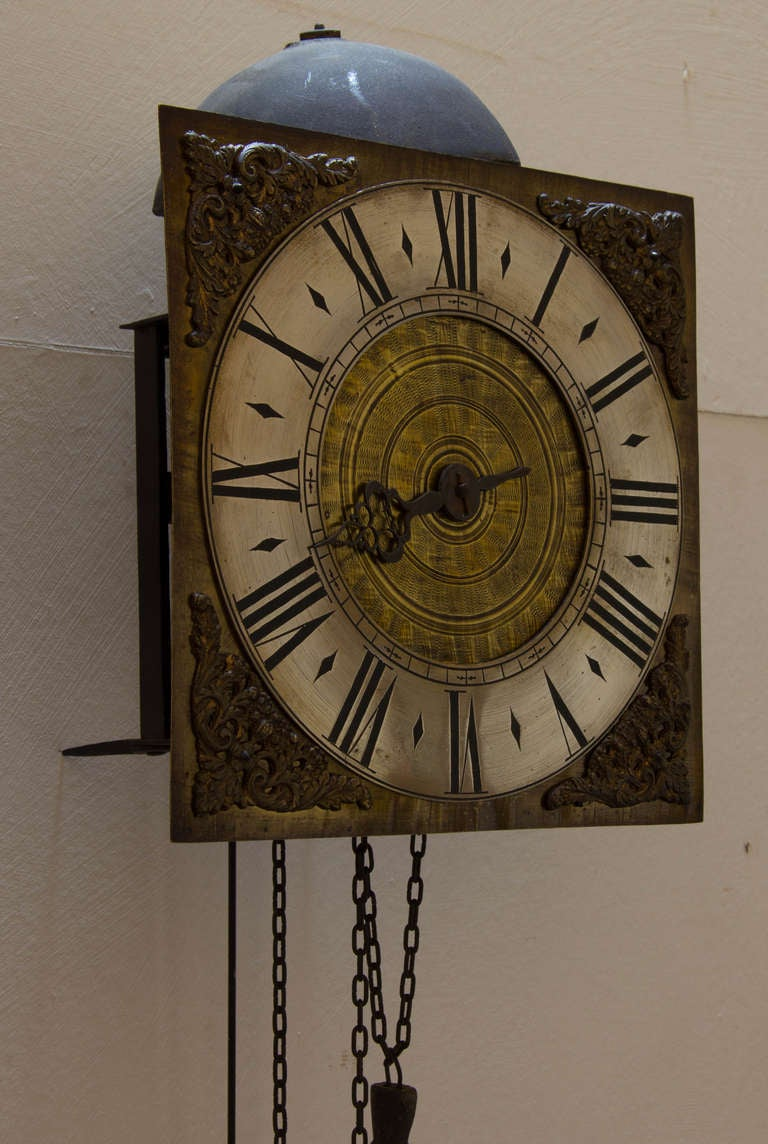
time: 8:12
